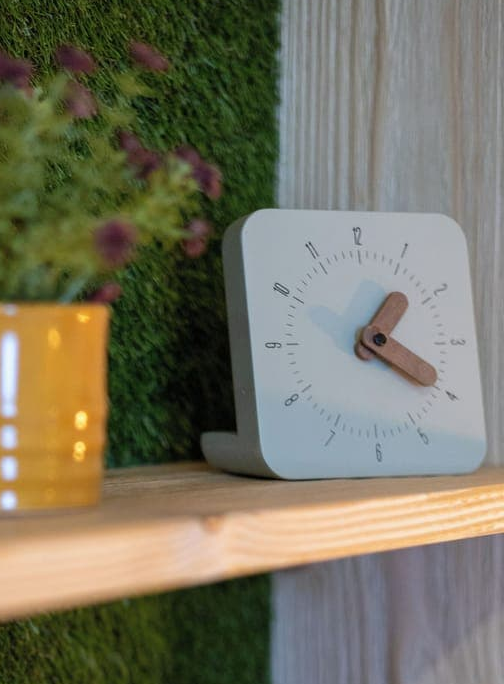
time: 1:19
